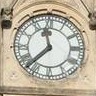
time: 11:37
